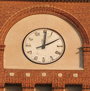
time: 12:10
